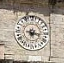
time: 6:15
